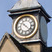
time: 10:22
